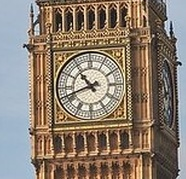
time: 10:41
